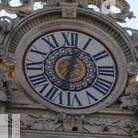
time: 12:32
